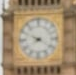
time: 7:49
